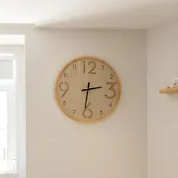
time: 2:31
